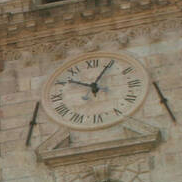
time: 10:05
